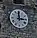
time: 2:59
